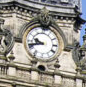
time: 9:42
